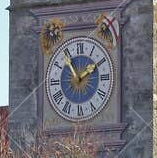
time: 1:54
